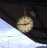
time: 2:45
